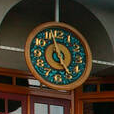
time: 4:57
